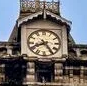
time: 8:24
